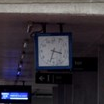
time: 3:33
